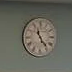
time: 11:23
